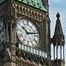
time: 10:12
